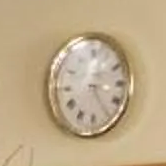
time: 3:24
